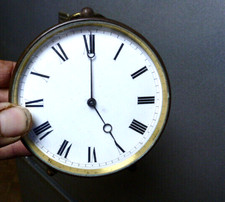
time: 5:00
